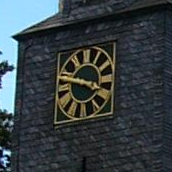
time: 3:47
